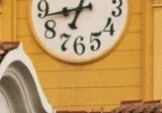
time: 6:43
